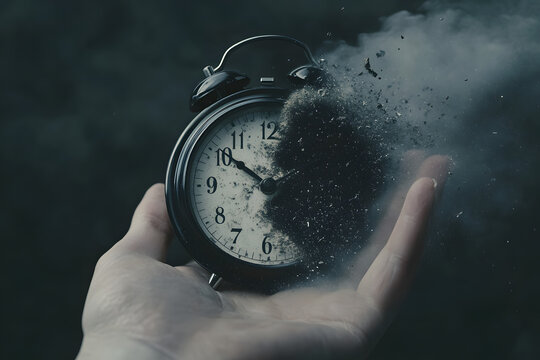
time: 9:50
